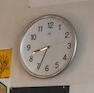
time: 8:34
